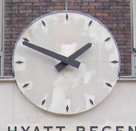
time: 1:49
